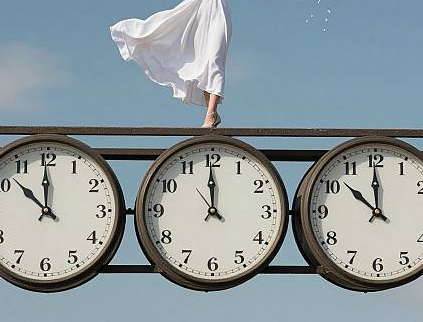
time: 11:59
